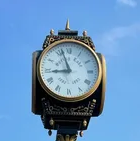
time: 8:56
